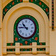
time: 10:45
